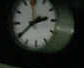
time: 2:39
